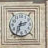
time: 2:33
